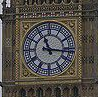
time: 11:16
